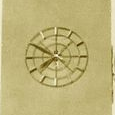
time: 7:49
